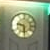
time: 9:28
